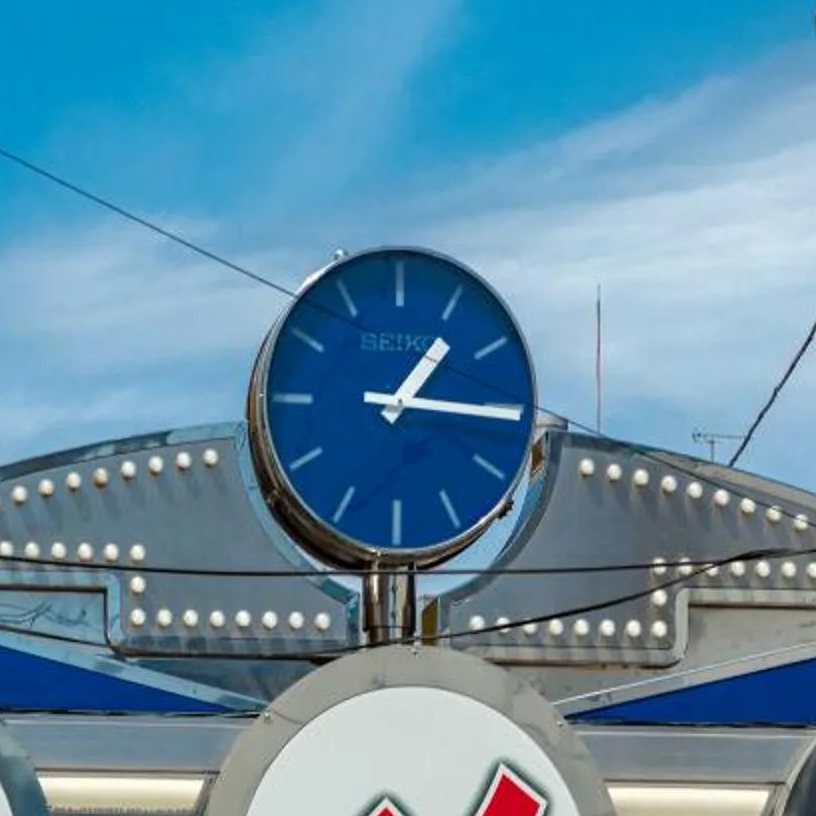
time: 1:15
